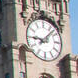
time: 9:07
